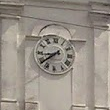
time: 8:38
